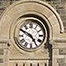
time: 4:50
